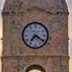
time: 7:20
